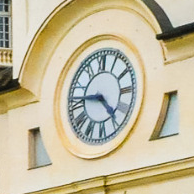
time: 4:45
